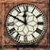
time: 11:50
